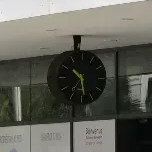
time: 10:28
